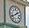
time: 1:39
